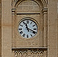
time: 11:18
